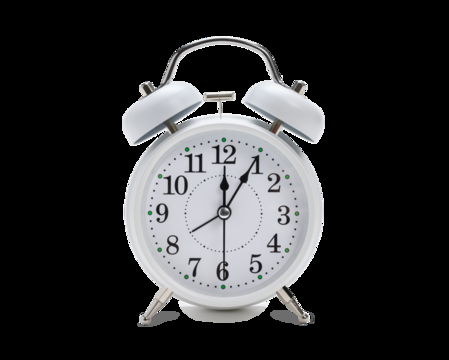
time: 12:05
